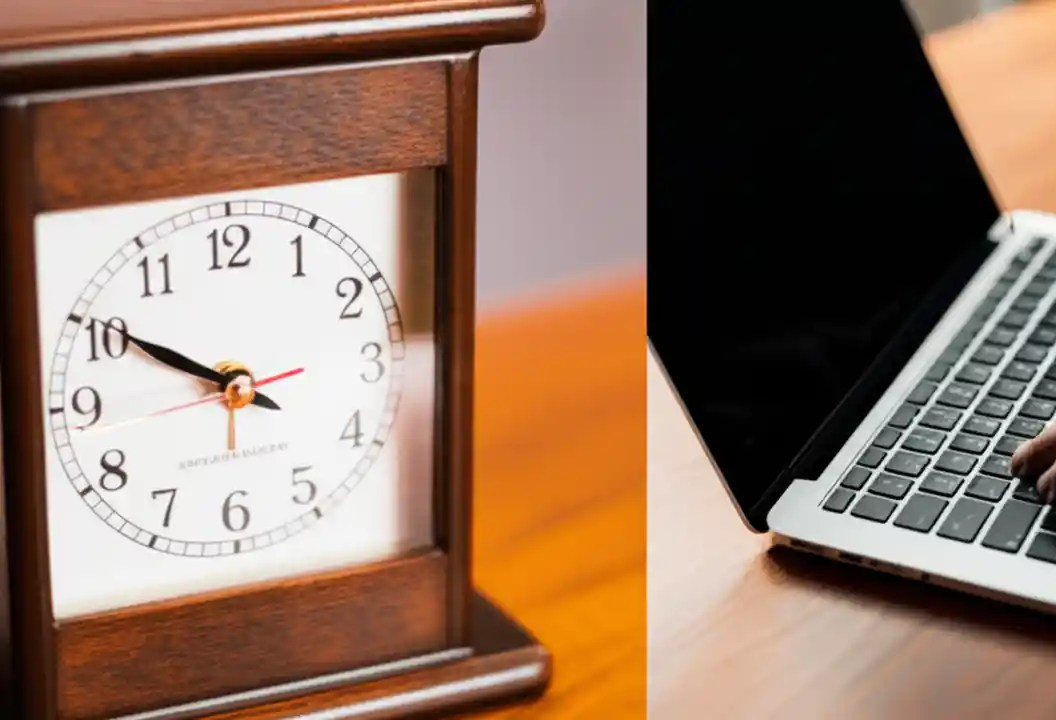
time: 9:50
